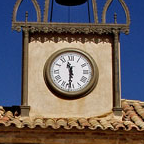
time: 11:30
